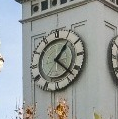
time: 1:22
